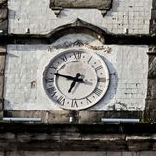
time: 6:47
